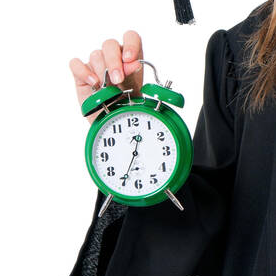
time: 12:34
